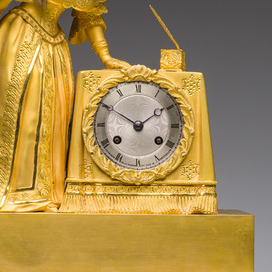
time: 1:50
